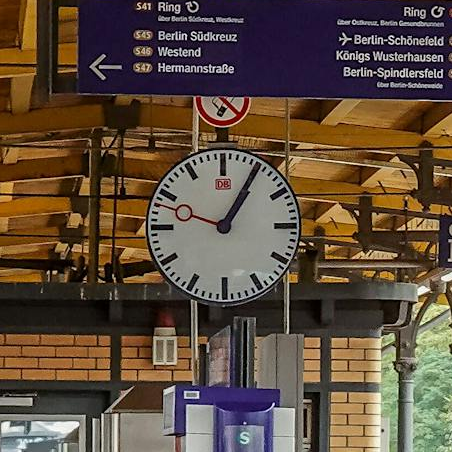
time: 1:05
